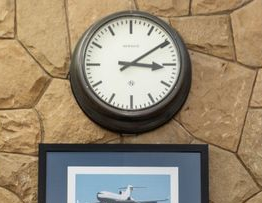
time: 3:09
